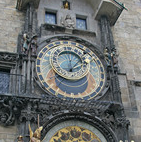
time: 12:07
